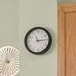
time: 11:14
